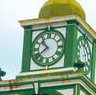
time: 10:38
